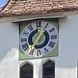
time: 12:36
